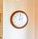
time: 2:01
